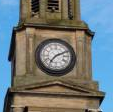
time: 7:10
